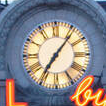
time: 7:06
